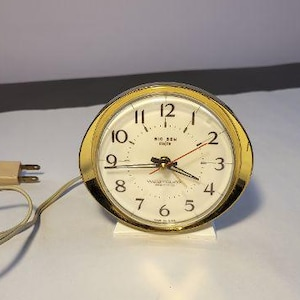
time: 3:43
